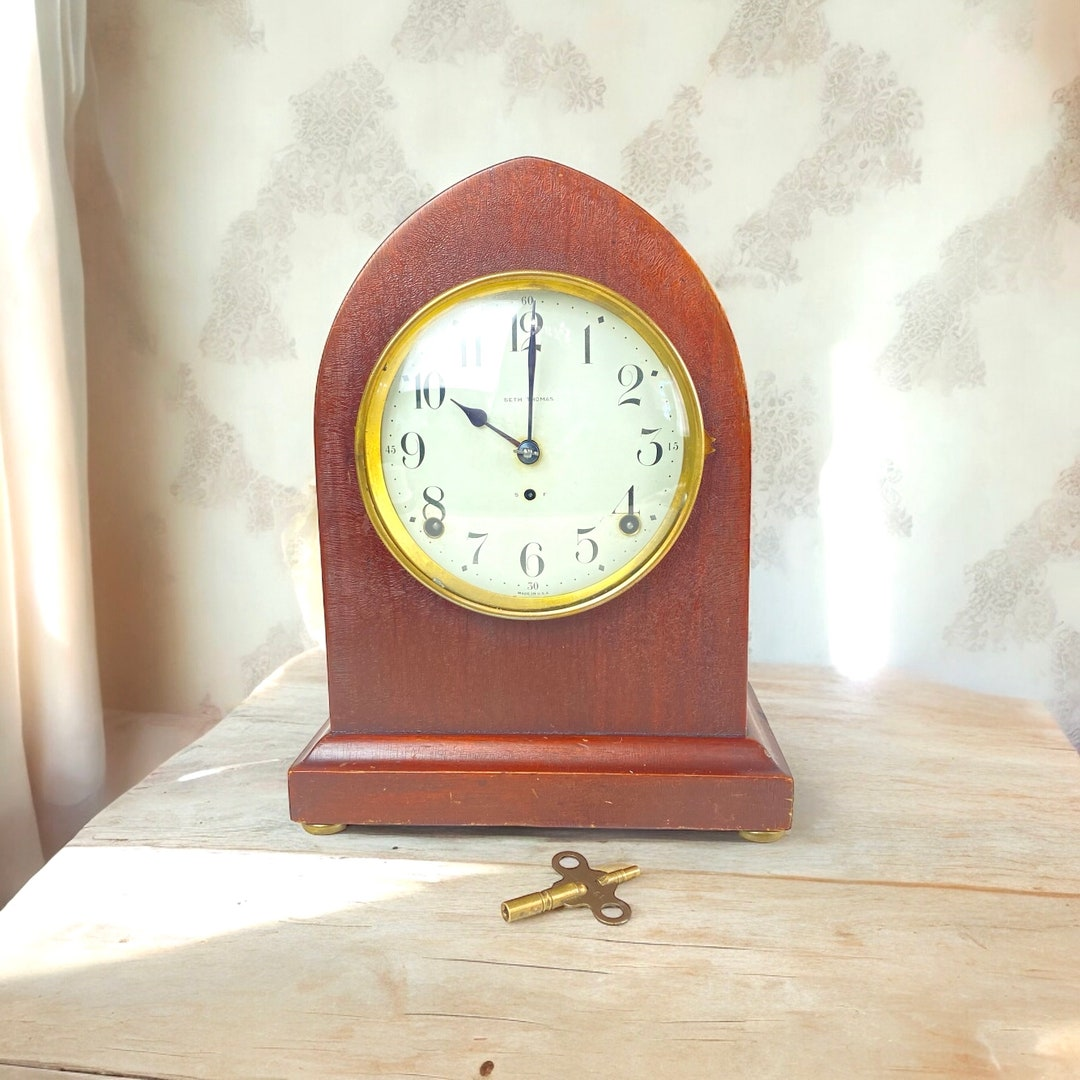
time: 10:00
